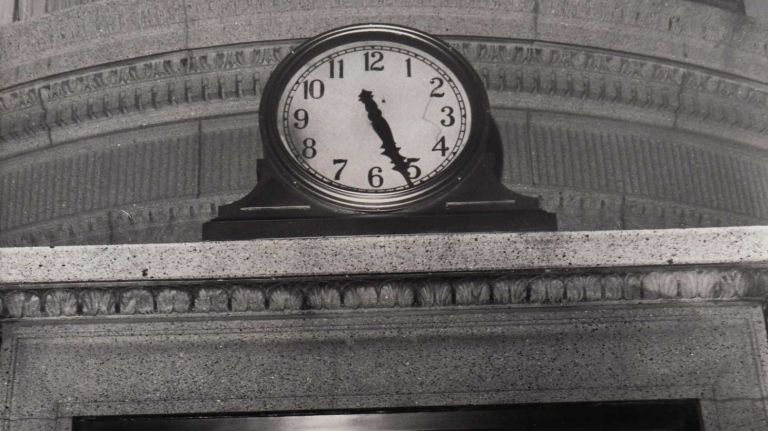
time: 5:26
